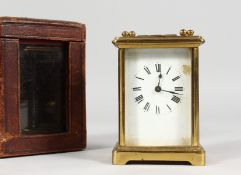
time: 12:17
